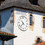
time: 10:37
